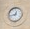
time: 12:43
